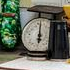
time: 5:59
